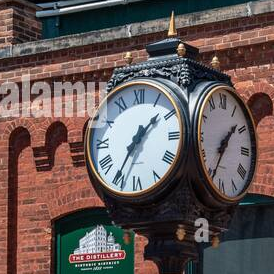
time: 1:35
